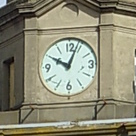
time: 10:03
